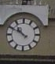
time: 10:50
